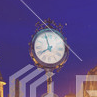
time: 7:57
